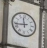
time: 11:43
